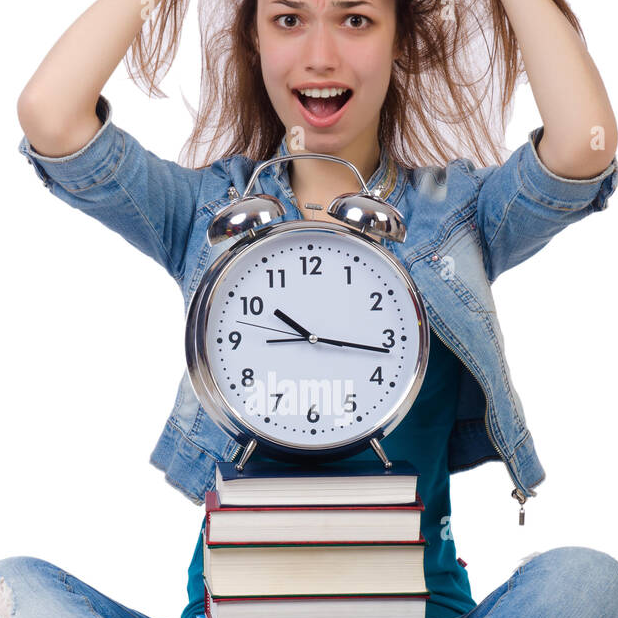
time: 10:16
